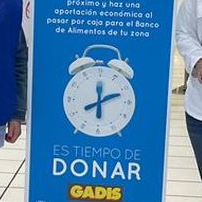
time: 12:11
